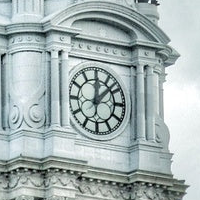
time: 12:07
